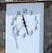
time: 11:27
